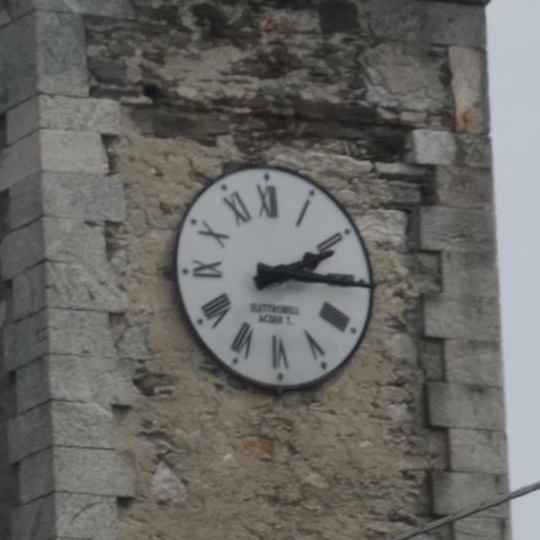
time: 2:15
